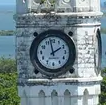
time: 1:58
